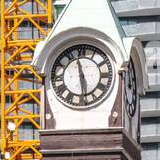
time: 11:28
